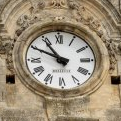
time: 10:49
